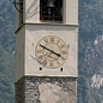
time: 3:49
